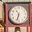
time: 6:32
